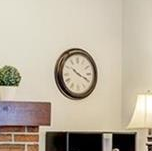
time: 10:19
